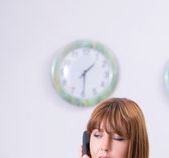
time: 1:29
